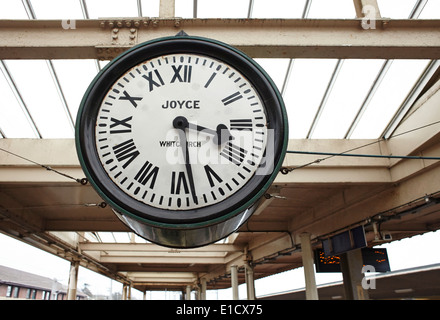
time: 3:28
